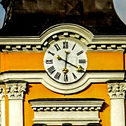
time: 12:19
